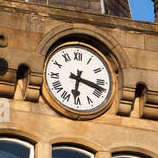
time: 6:17
